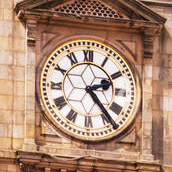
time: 2:23
